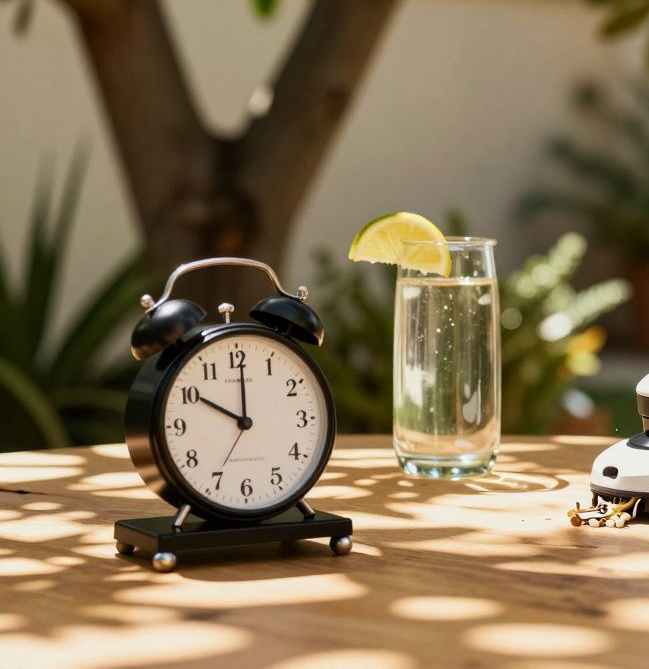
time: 10:00
